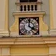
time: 4:00
